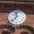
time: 11:37
